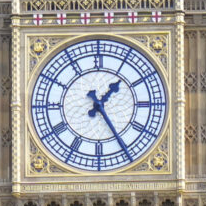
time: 1:24
